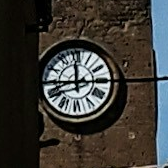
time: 11:44
